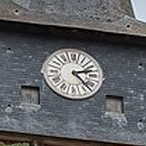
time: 2:22
